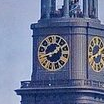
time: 1:42
